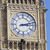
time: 3:12
